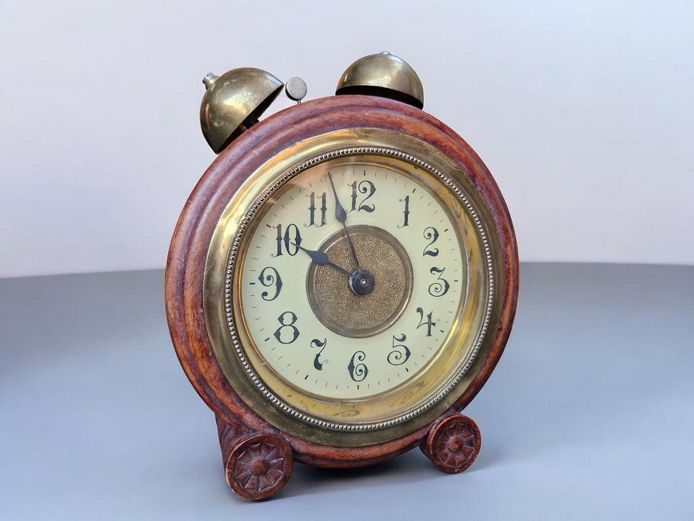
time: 9:57
